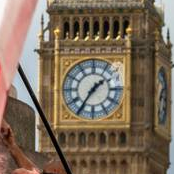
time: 1:35
